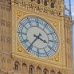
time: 3:36
